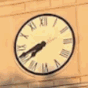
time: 7:41
